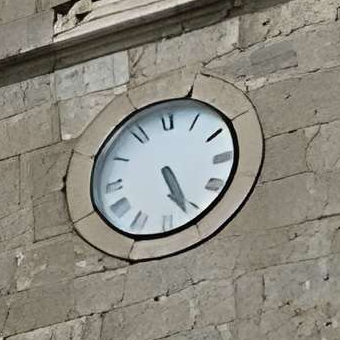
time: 5:26
